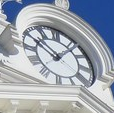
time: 10:07
